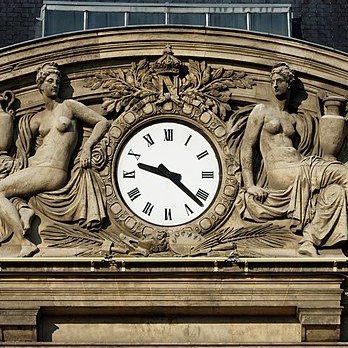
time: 9:22
